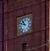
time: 10:48
